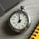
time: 6:58
